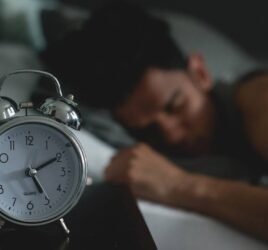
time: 5:10
